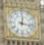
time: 12:16
